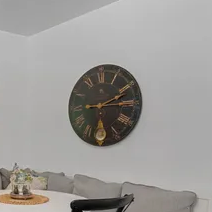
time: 2:14
